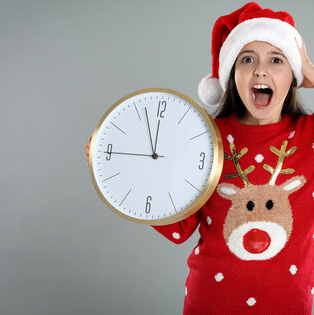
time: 11:56
